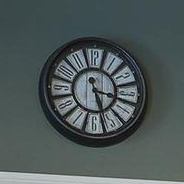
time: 3:27
